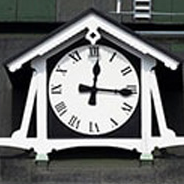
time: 12:15
